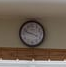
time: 3:48
